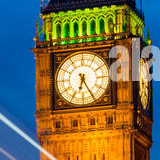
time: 6:25
